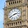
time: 2:40
